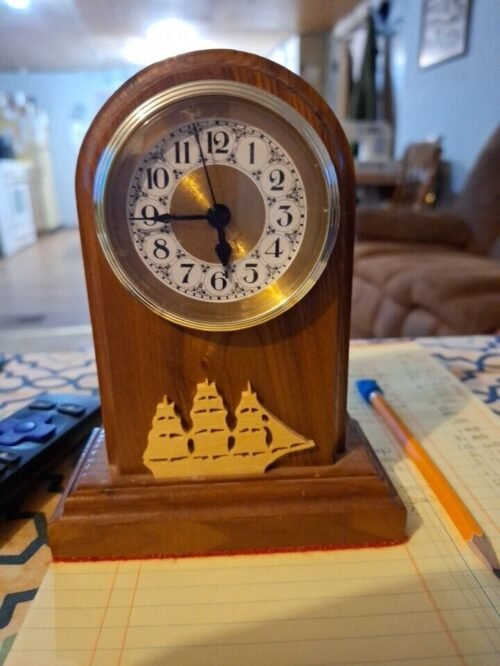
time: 5:45
